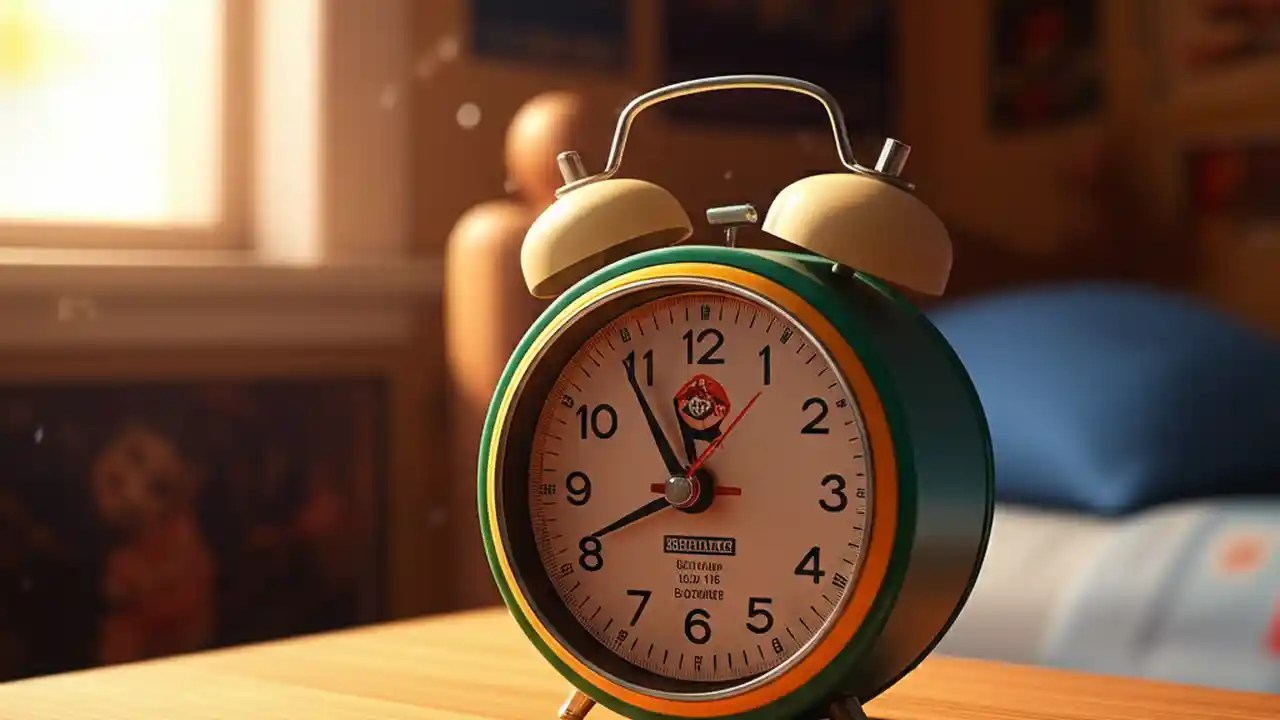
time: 11:54
